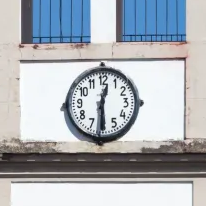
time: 12:29
